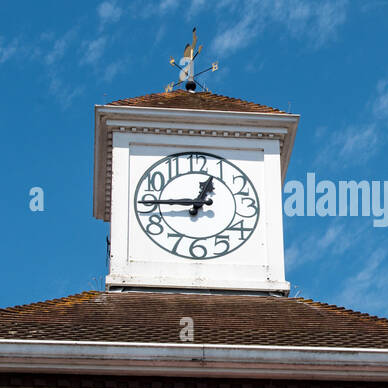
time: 12:45
